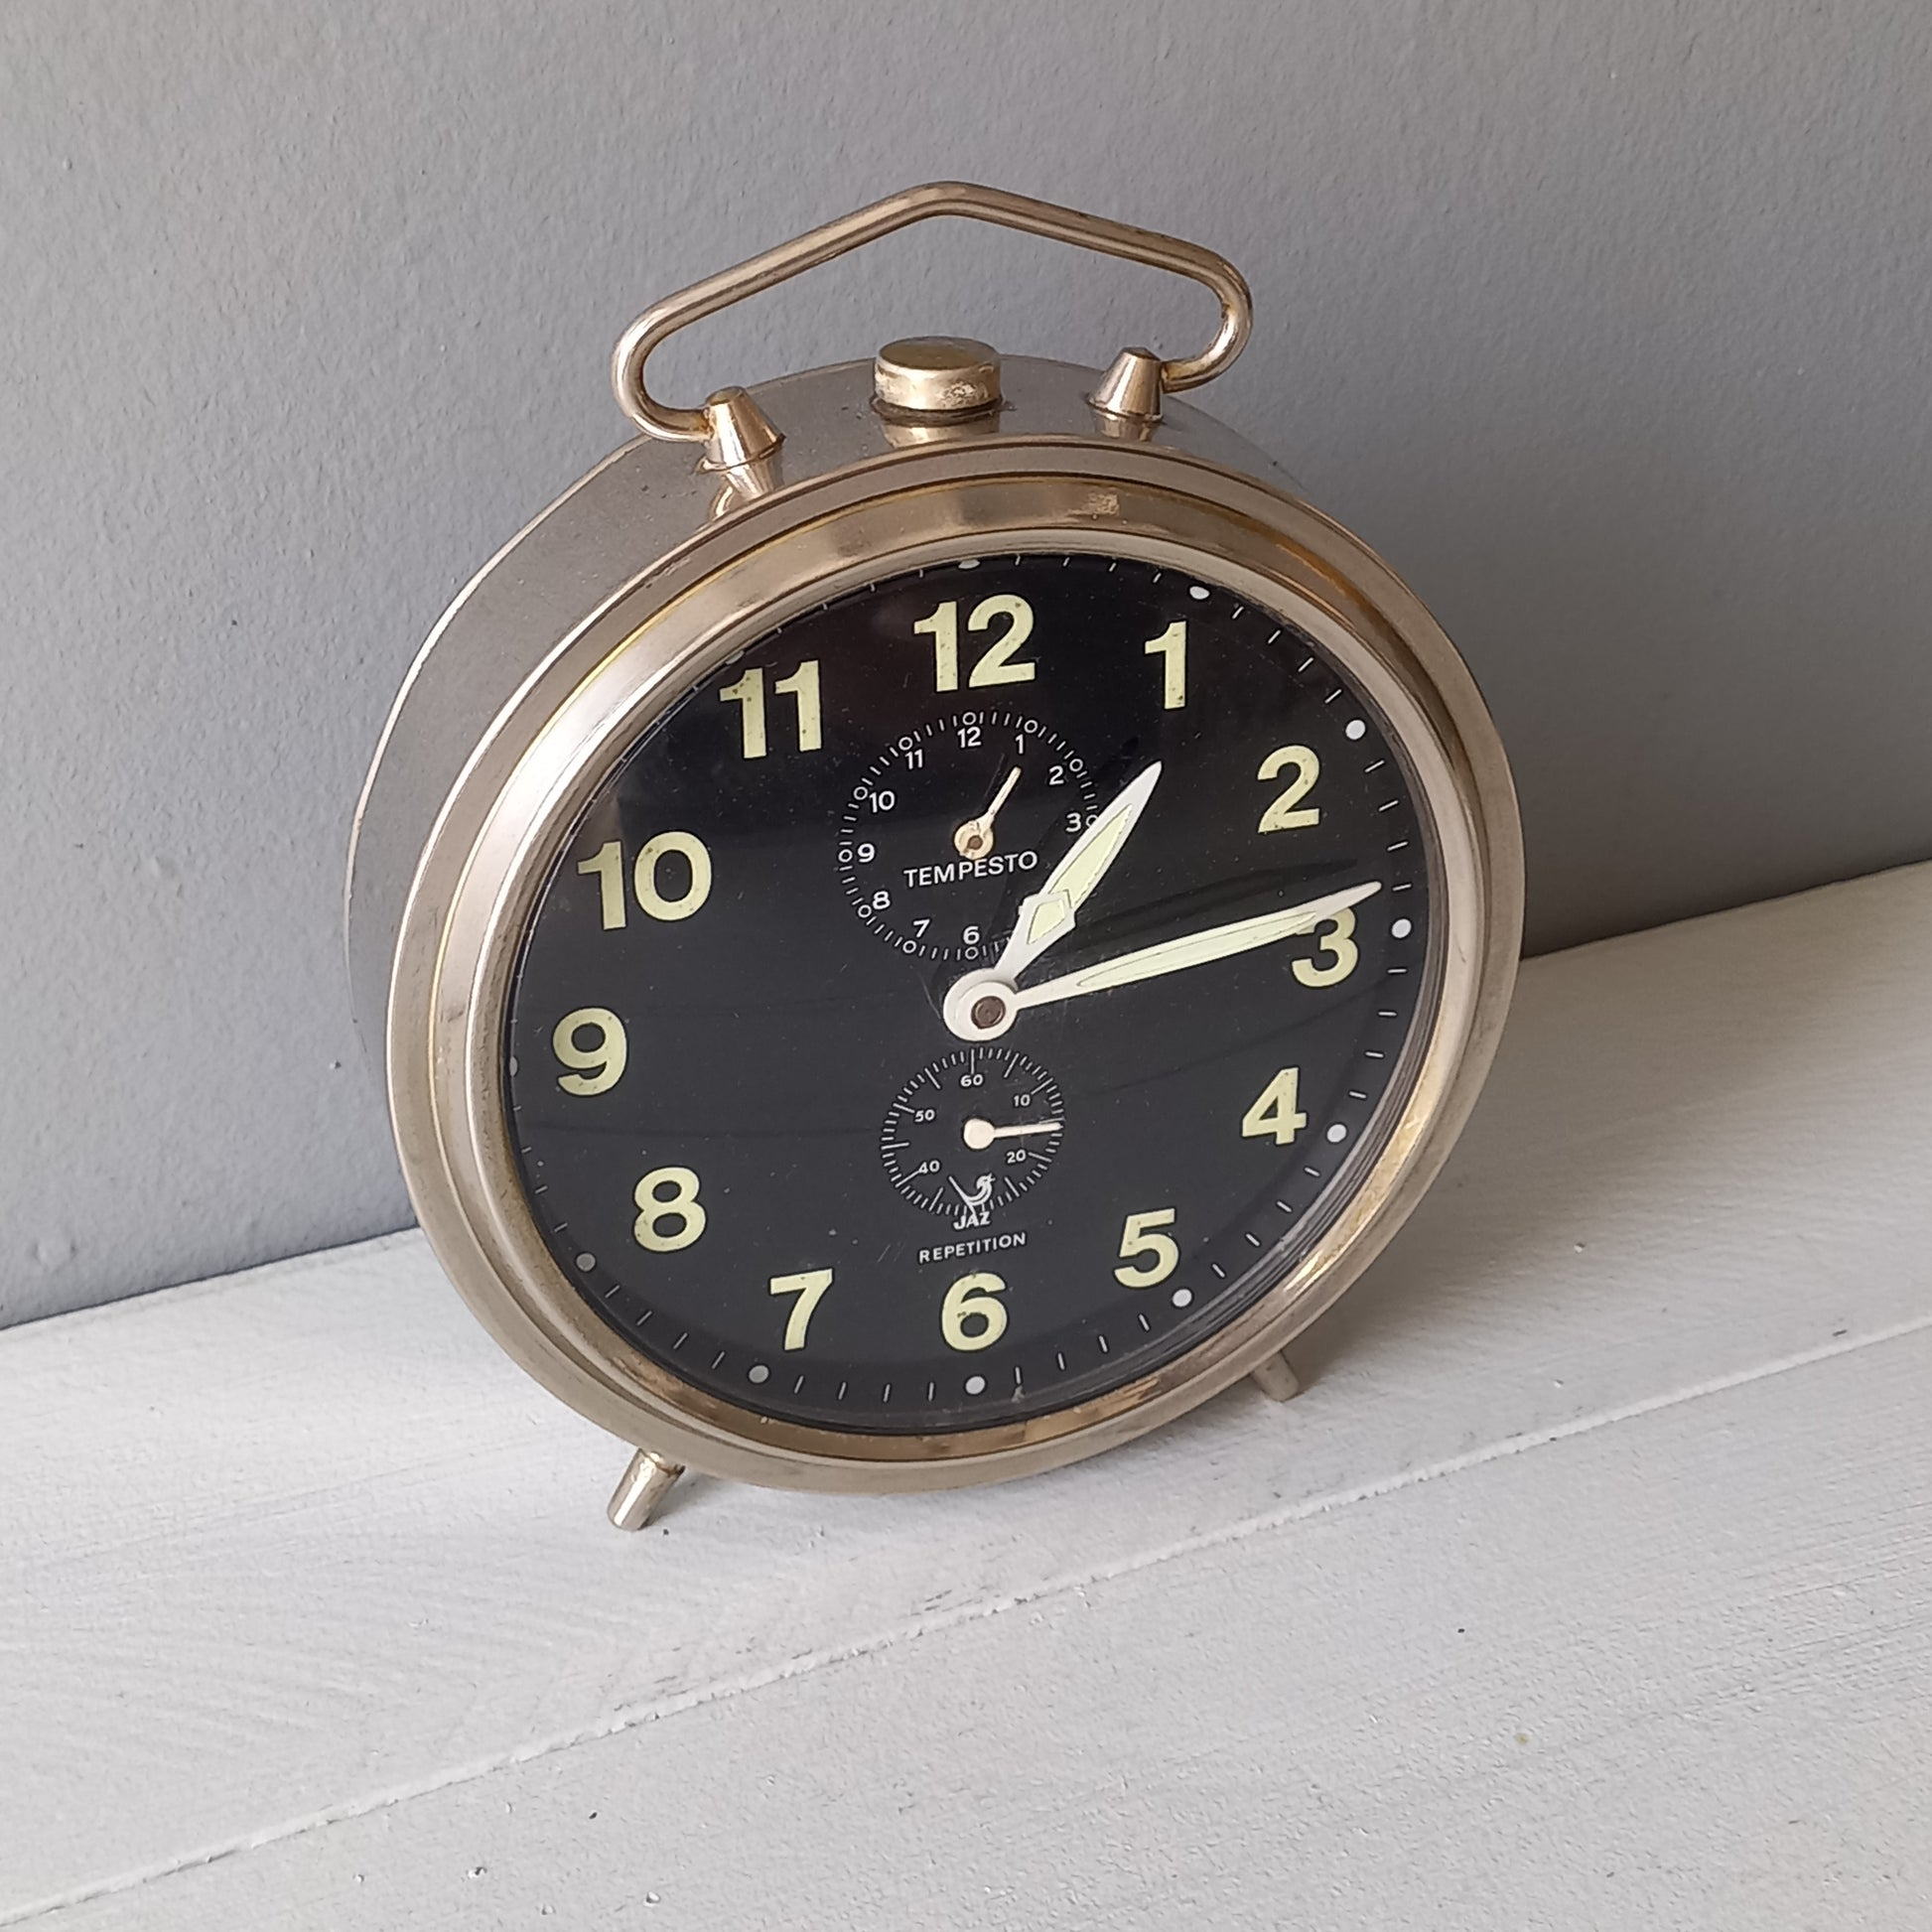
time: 1:14
